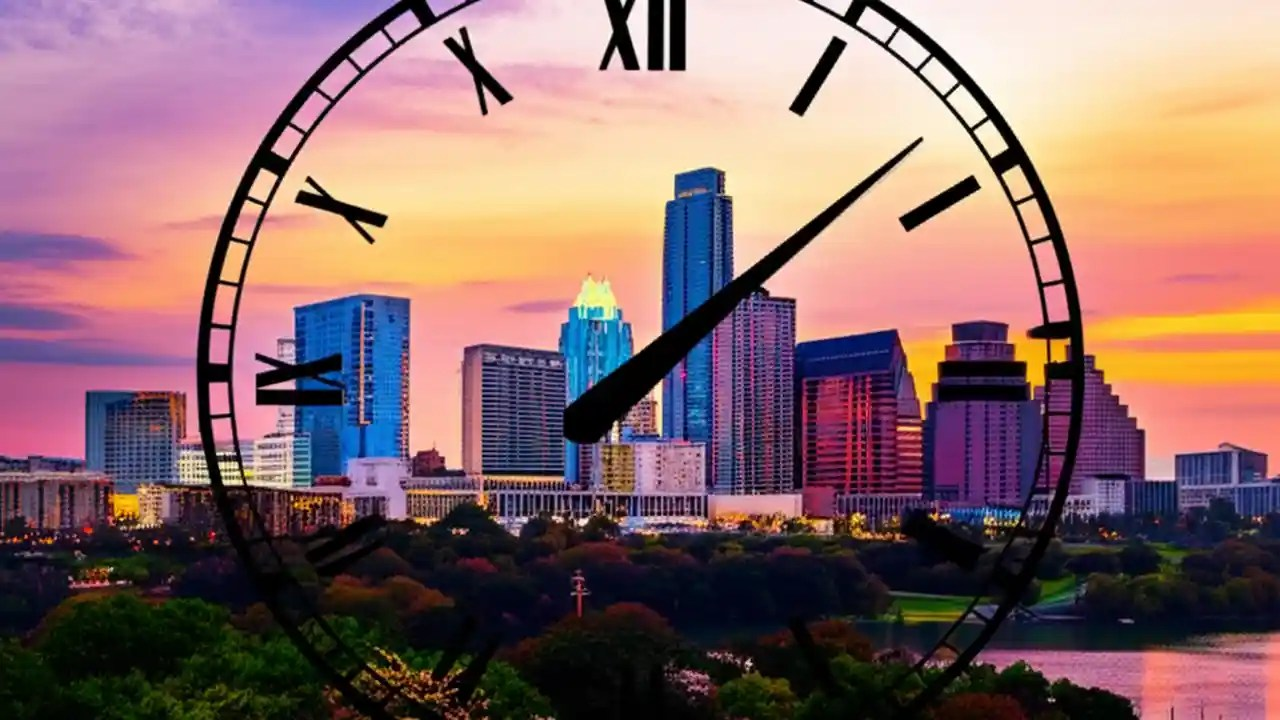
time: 8:08
